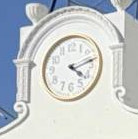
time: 4:12
